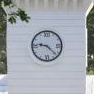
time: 9:22
